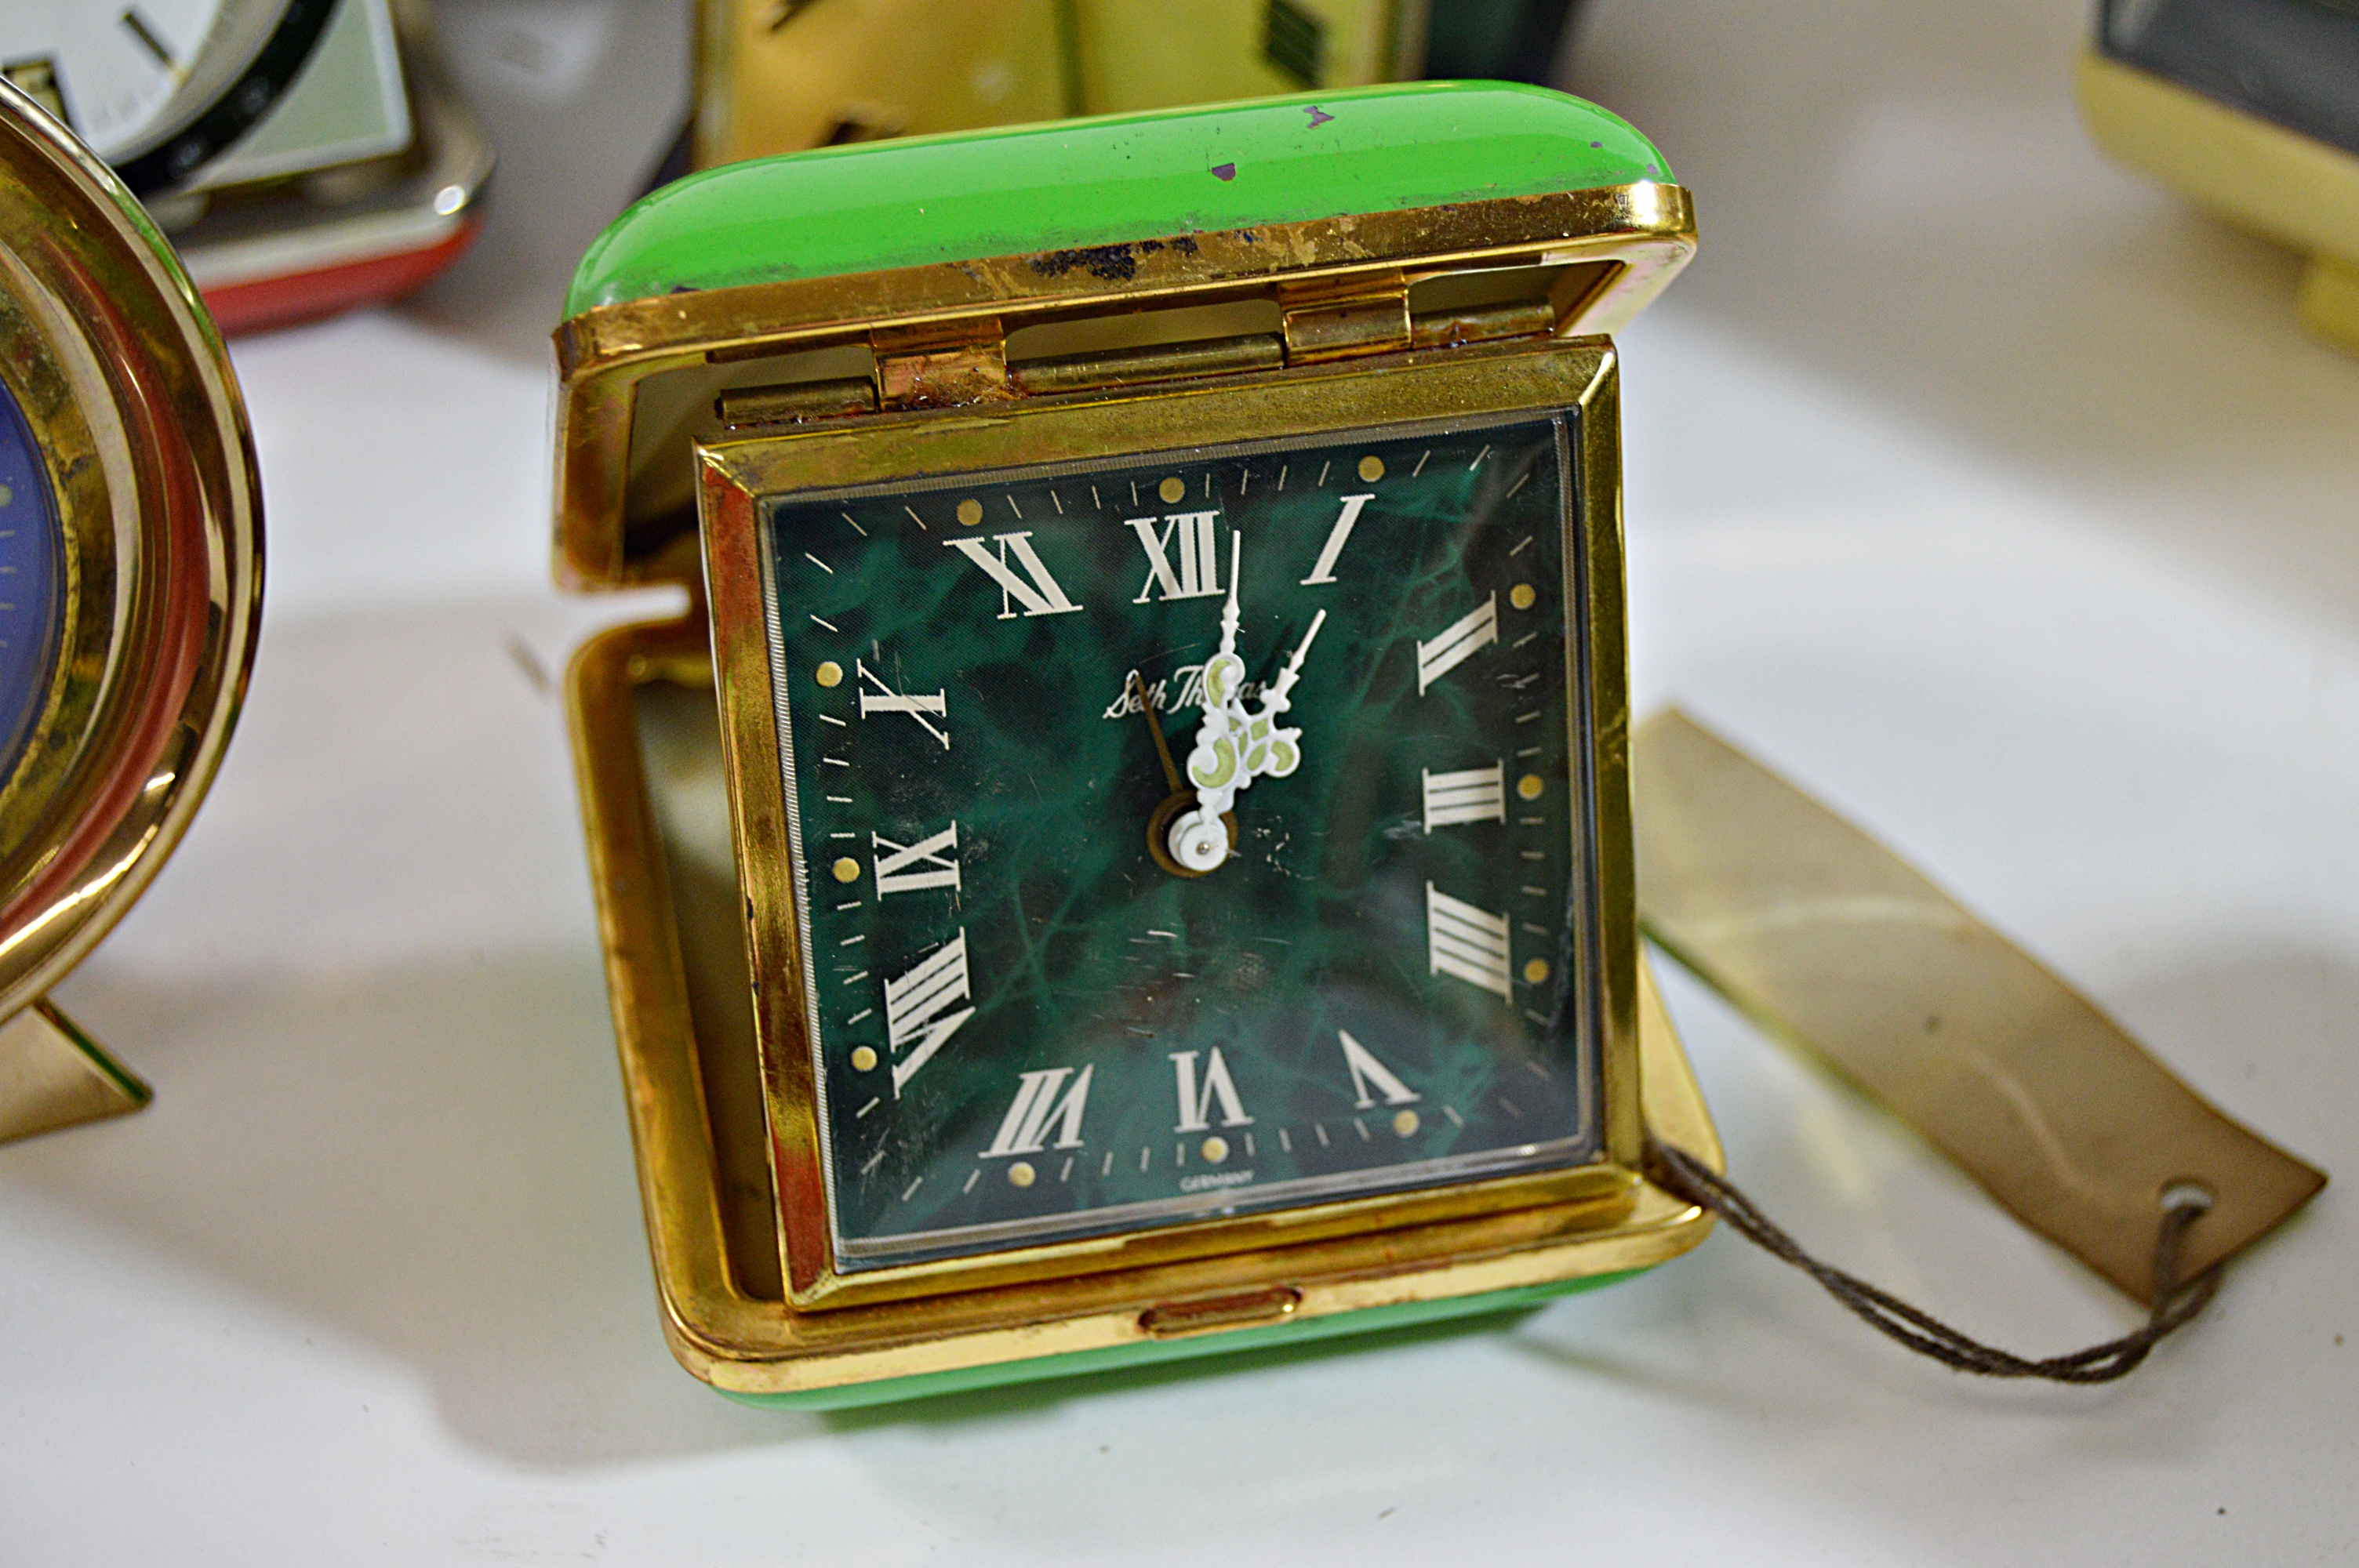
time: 1:02
